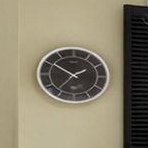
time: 1:50
